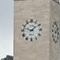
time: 1:47
